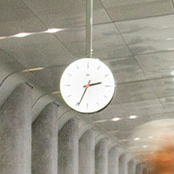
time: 2:34
